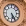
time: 5:24
